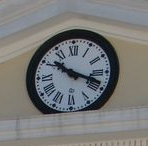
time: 10:18
